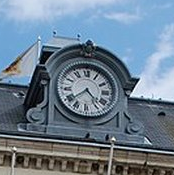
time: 4:38
